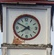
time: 7:49
